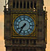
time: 7:35
